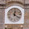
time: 12:21
